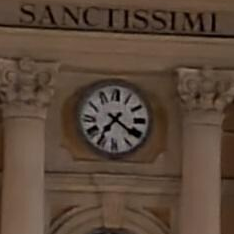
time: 7:20
